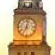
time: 7:02
